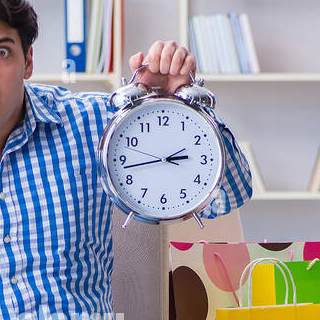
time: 2:42
